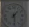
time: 1:29
